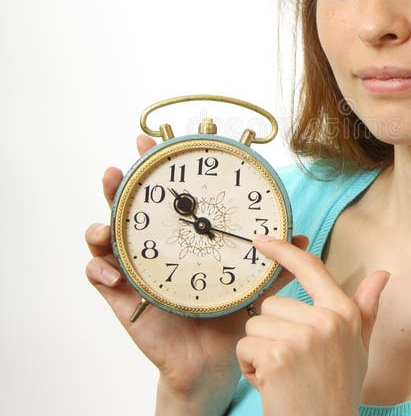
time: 10:17
